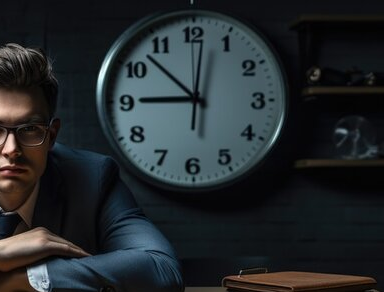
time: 9:01
